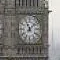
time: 11:07
